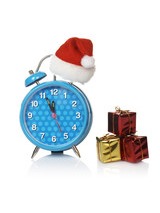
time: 11:55
